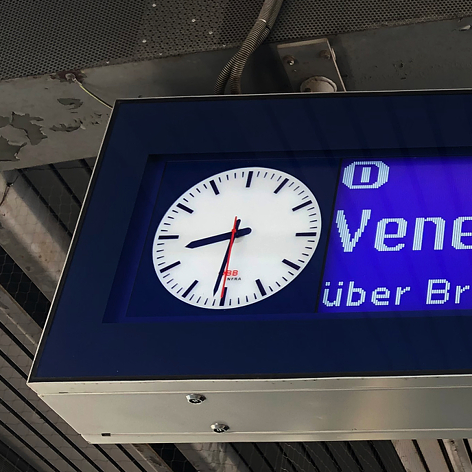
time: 8:31
